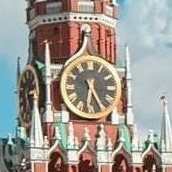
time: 6:25
